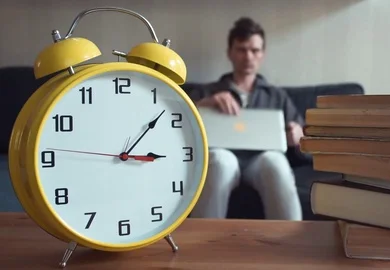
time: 3:07
